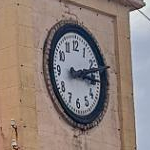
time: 3:12
